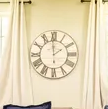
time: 1:59
